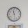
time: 11:28
